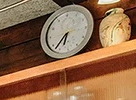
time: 6:37
